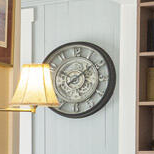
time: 8:09
